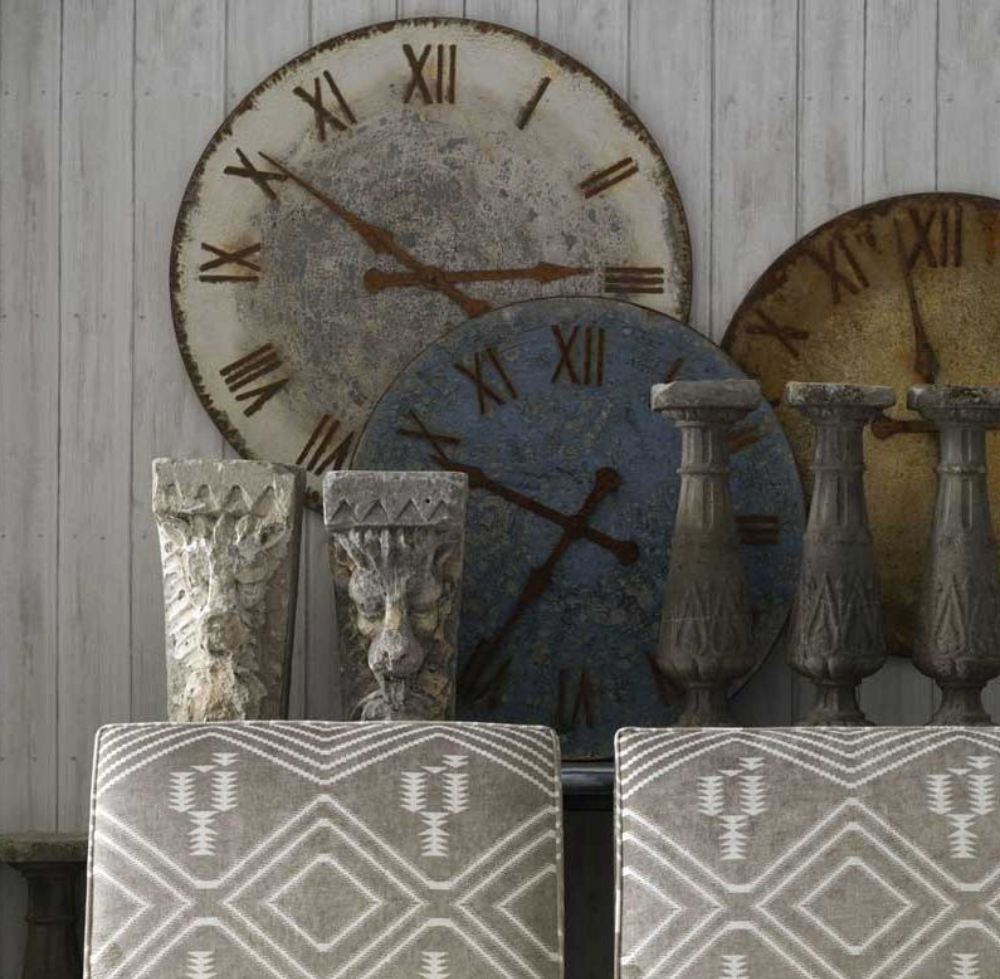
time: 2:50
